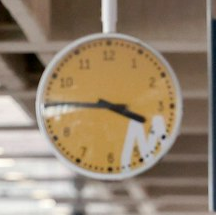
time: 3:45
